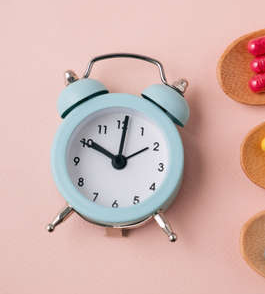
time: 10:01
